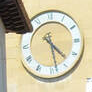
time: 4:28
